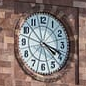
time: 4:19
